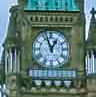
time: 12:56
